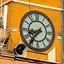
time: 8:36
